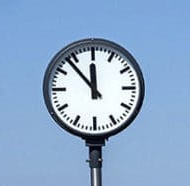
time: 11:53
